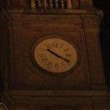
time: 10:19
